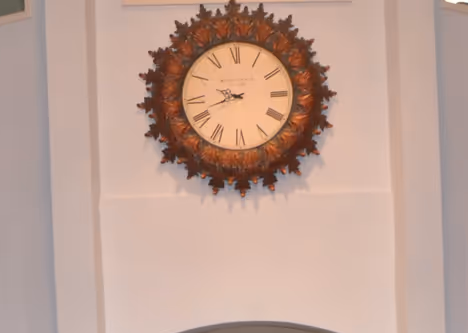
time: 9:41
